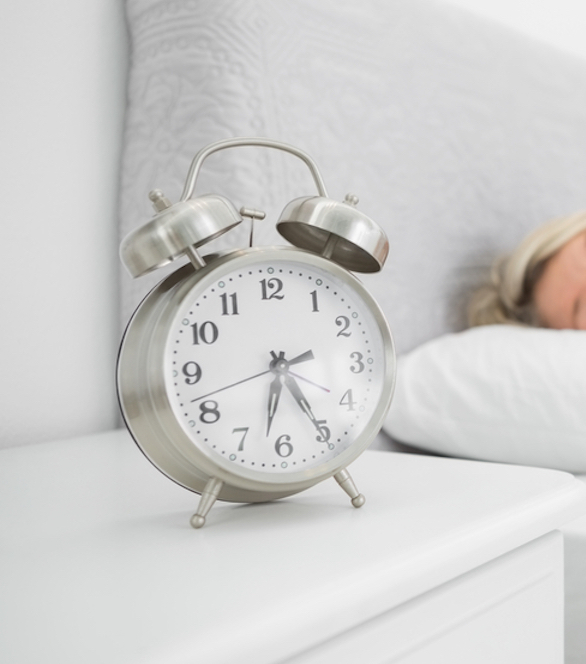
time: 6:25
